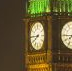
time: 7:44
